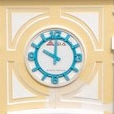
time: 10:00
